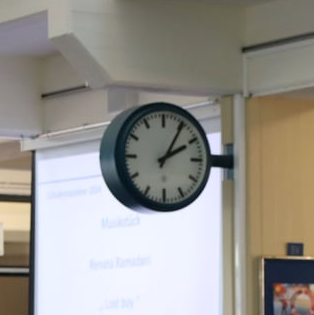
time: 2:05
